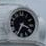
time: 3:34
